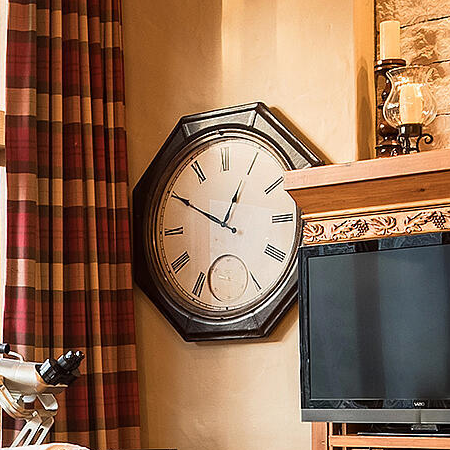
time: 12:50
